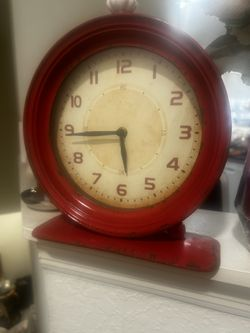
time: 5:44
